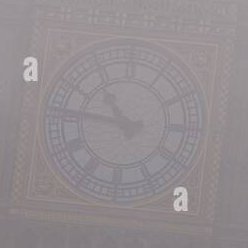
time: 10:47
